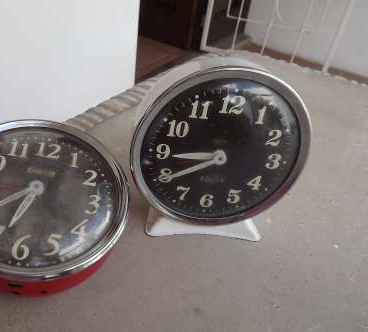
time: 8:39
